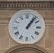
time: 1:06
